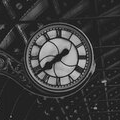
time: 7:38
